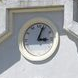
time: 3:03
